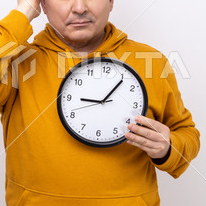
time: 9:06
